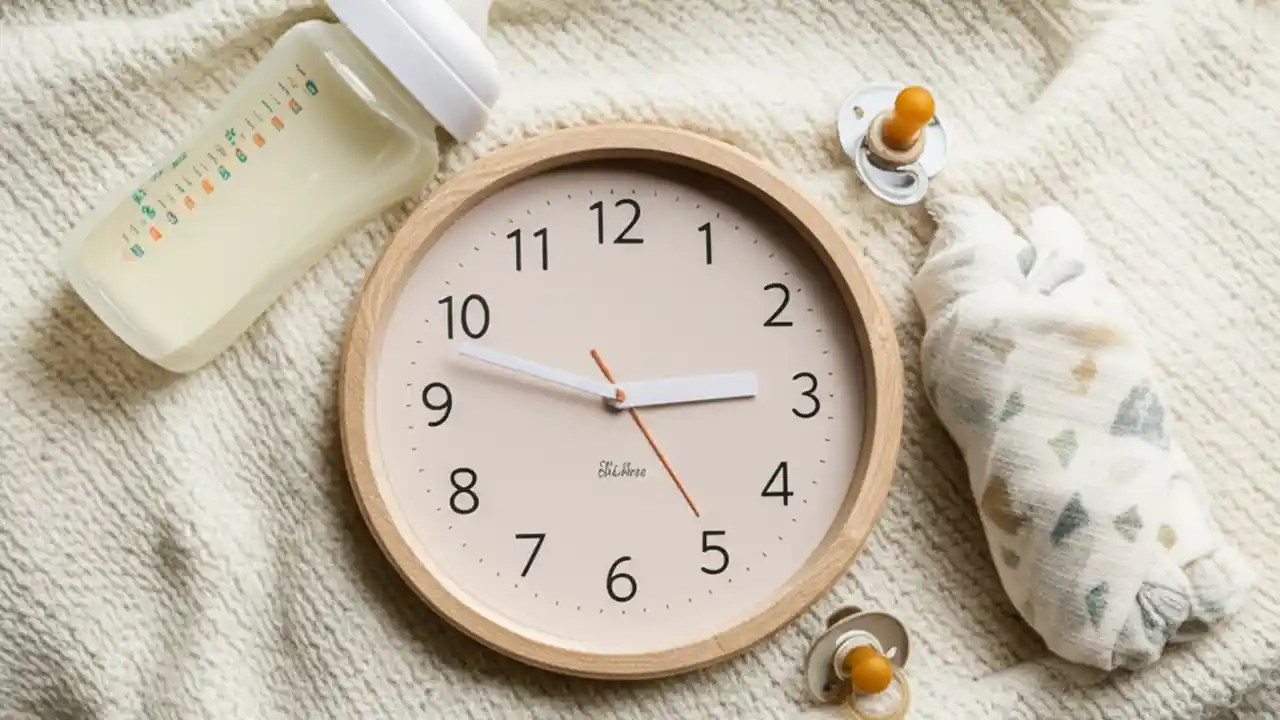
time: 2:47
